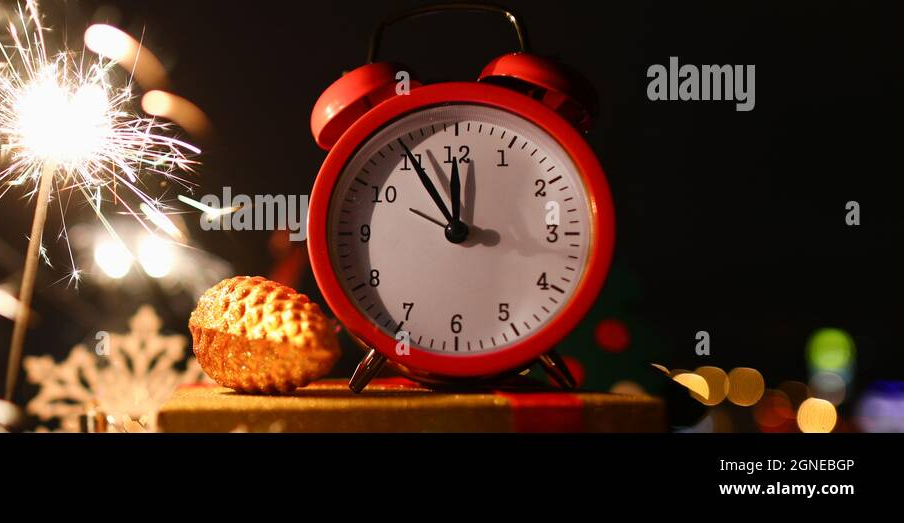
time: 11:54
